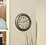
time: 2:11
